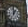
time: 12:58
